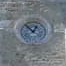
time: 12:52
